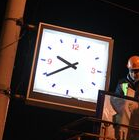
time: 9:39
